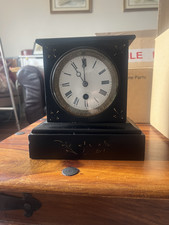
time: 10:59
